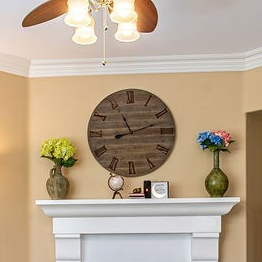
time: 11:12
